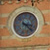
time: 3:22
